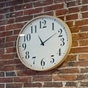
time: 11:09
